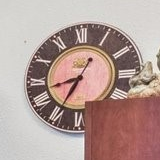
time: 8:35
